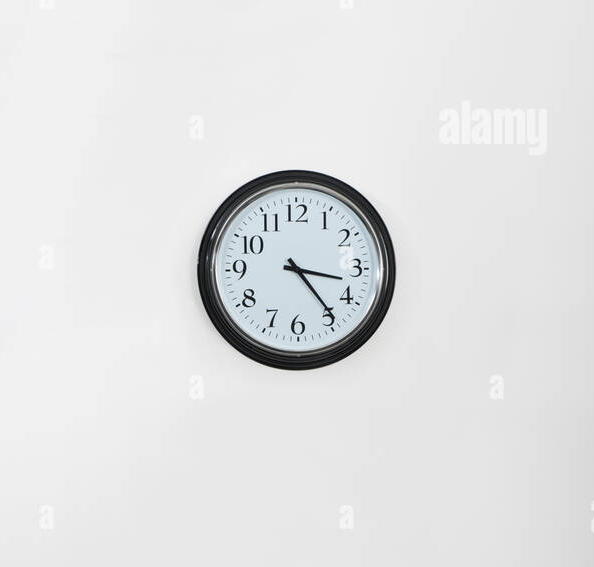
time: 3:23
